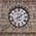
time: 8:09
